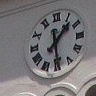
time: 1:29
